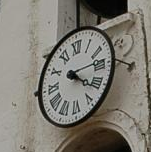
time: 4:13
